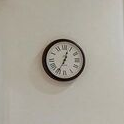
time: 12:34
